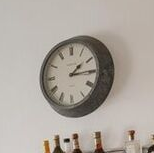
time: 1:14
